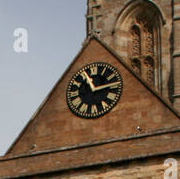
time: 11:13
